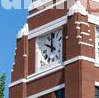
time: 10:00
